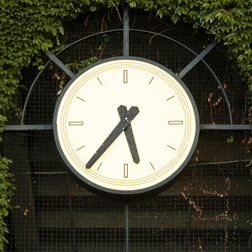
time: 5:36
